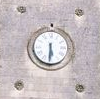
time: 5:30
